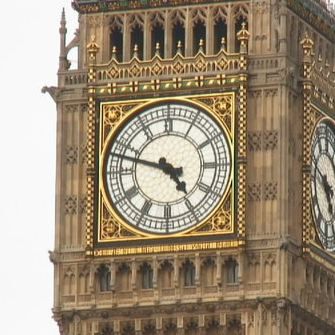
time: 4:47
